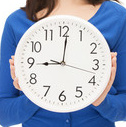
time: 9:01
